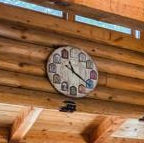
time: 11:21
